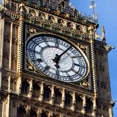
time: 6:05
